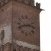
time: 2:42
